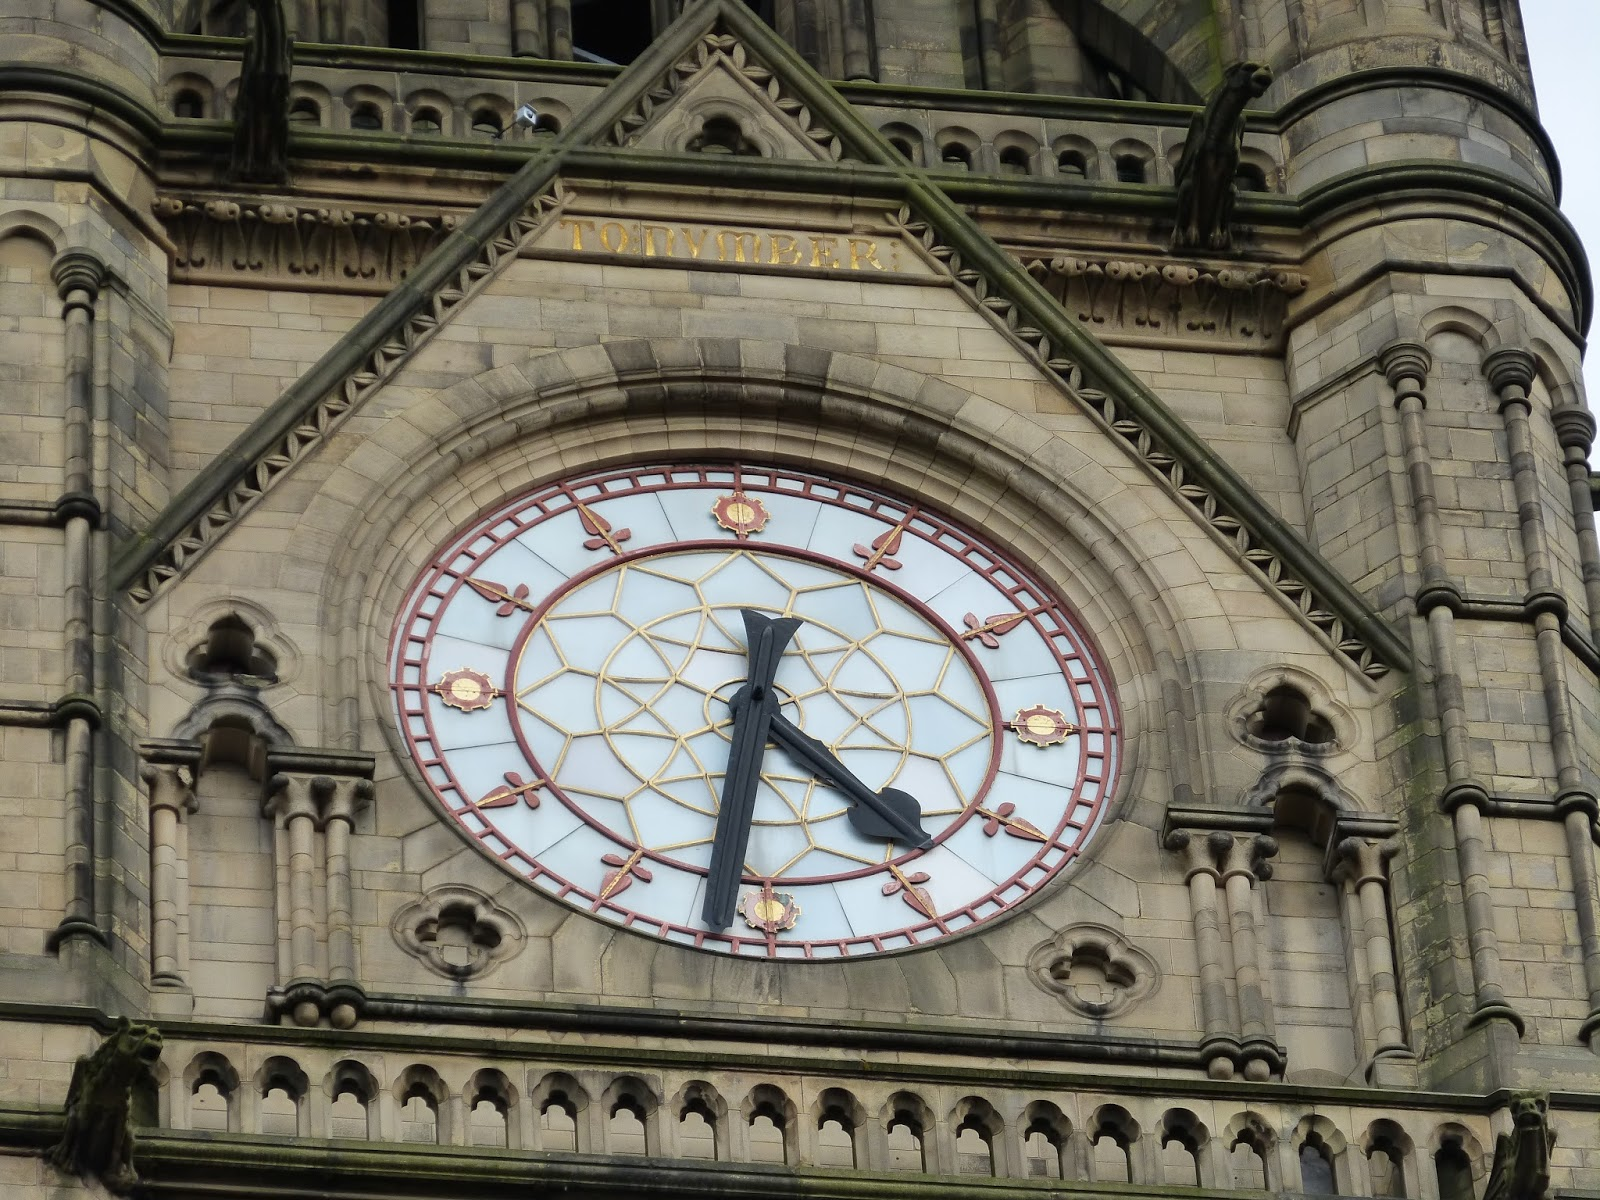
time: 4:31
